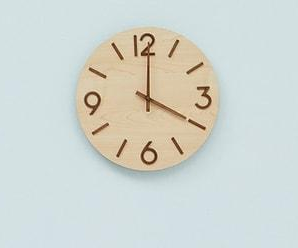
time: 4:00
